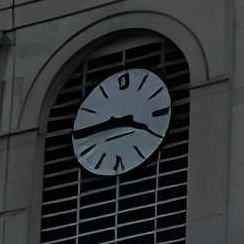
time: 3:44
